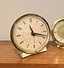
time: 11:17
